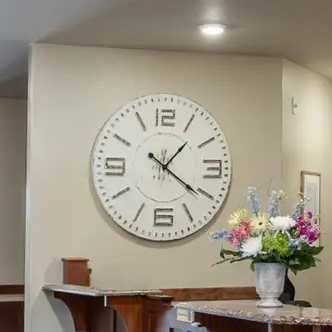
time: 1:20
